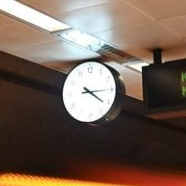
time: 4:14
